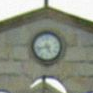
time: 4:42
